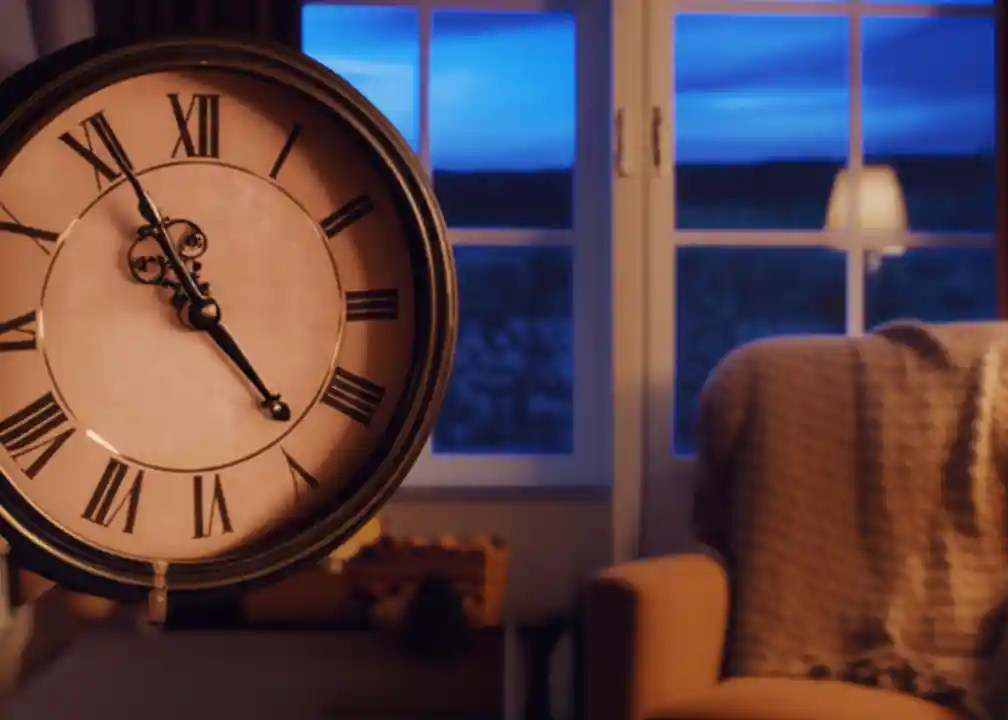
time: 4:55
